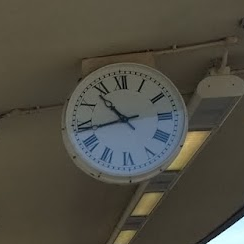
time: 10:43
